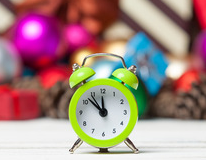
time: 11:52
